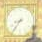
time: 8:36
